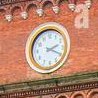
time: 2:19
